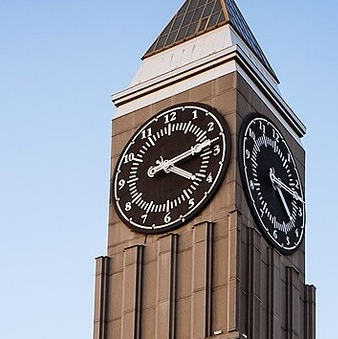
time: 4:13
